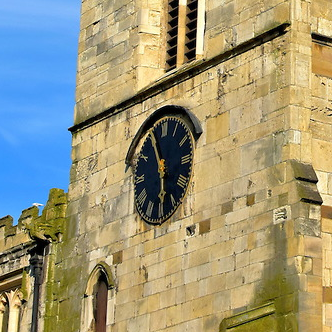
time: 5:55
